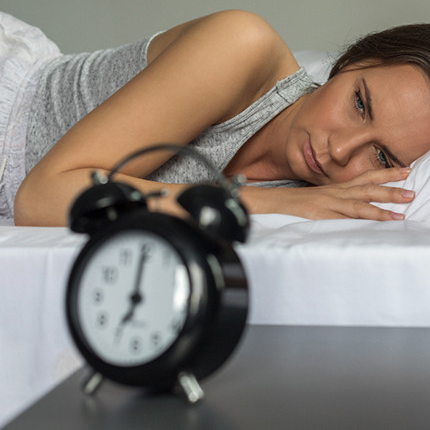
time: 7:00
